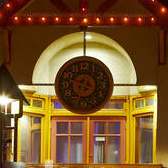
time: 6:47
